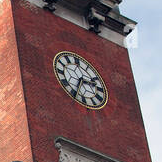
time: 2:34
